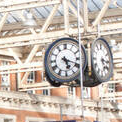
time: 5:18
